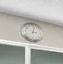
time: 3:02
